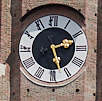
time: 2:27
